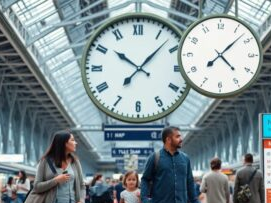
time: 10:07
